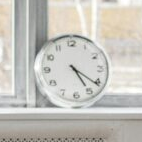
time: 5:21
